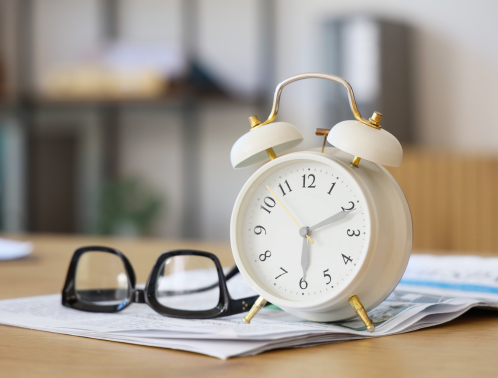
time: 6:10
